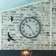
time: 10:24
